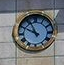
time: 10:48
